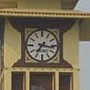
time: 7:16
